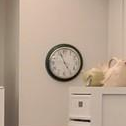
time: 4:56
